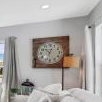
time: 10:32
